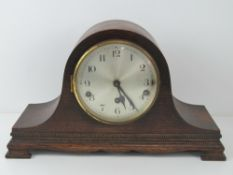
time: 5:24
